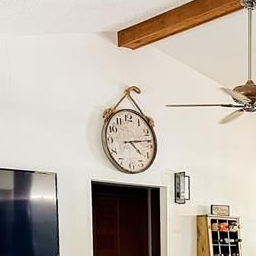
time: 4:13
